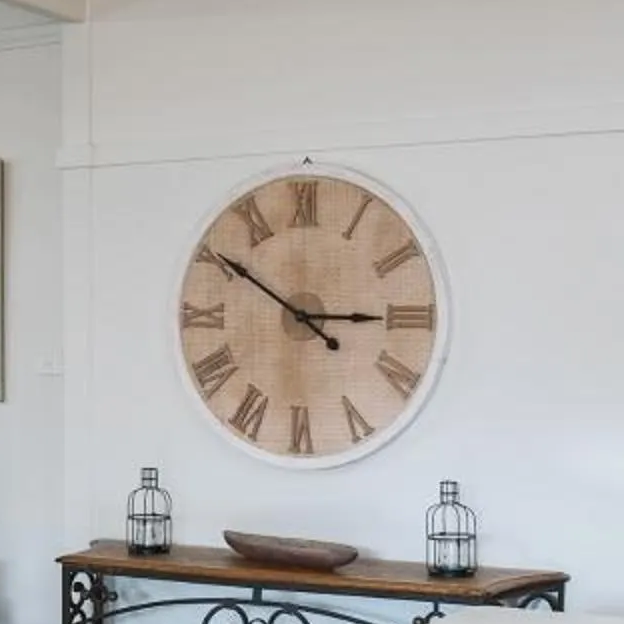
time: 2:50
